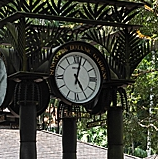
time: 5:02
